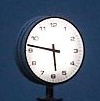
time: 5:46
